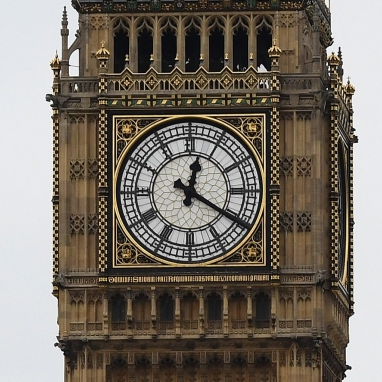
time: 12:20
